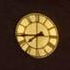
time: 7:43
